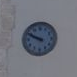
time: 9:49
